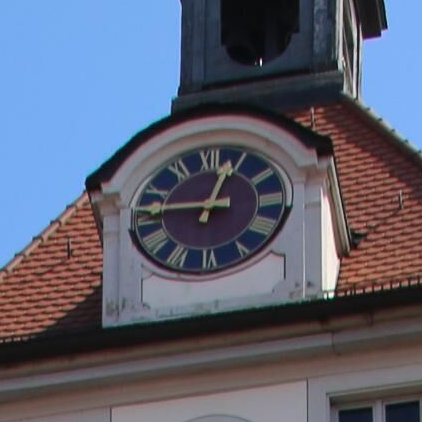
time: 12:46
